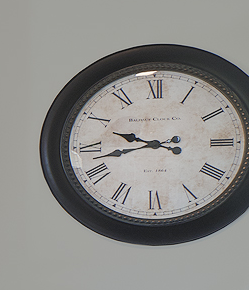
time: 9:42
